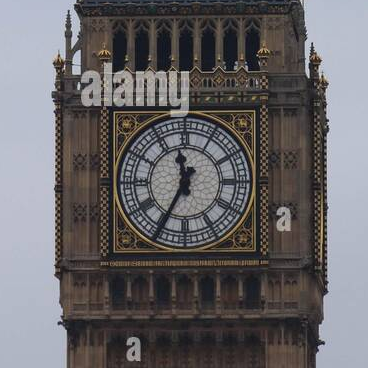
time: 11:34
